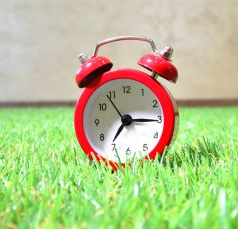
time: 7:15
